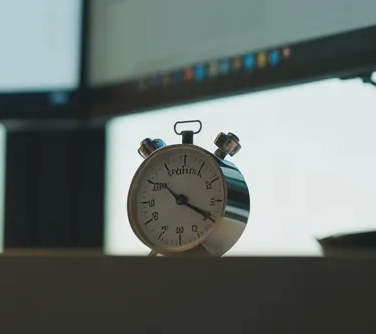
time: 10:19
